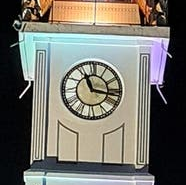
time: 11:16
